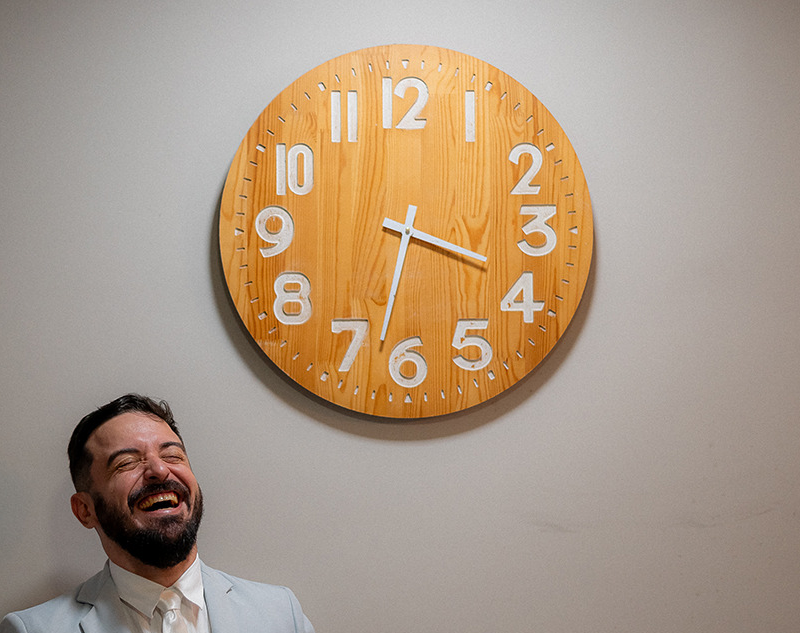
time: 3:32
